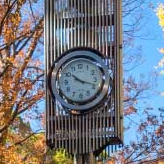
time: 10:18
